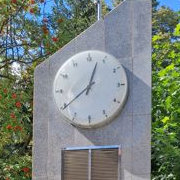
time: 12:39
